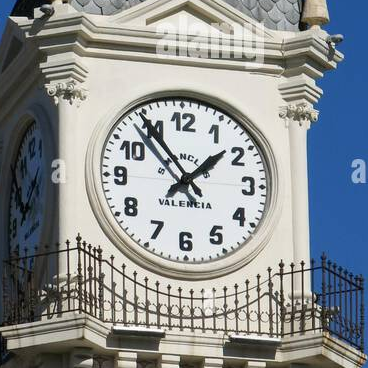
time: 1:54
